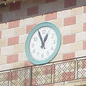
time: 12:55
